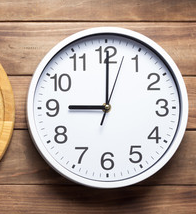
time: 9:00
